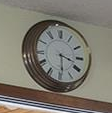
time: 3:29
